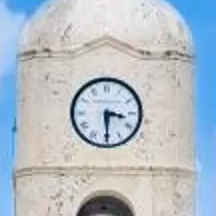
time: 3:29
